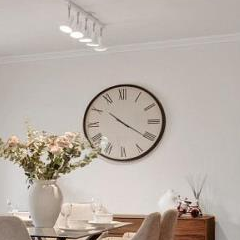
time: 10:20
